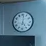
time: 5:01
